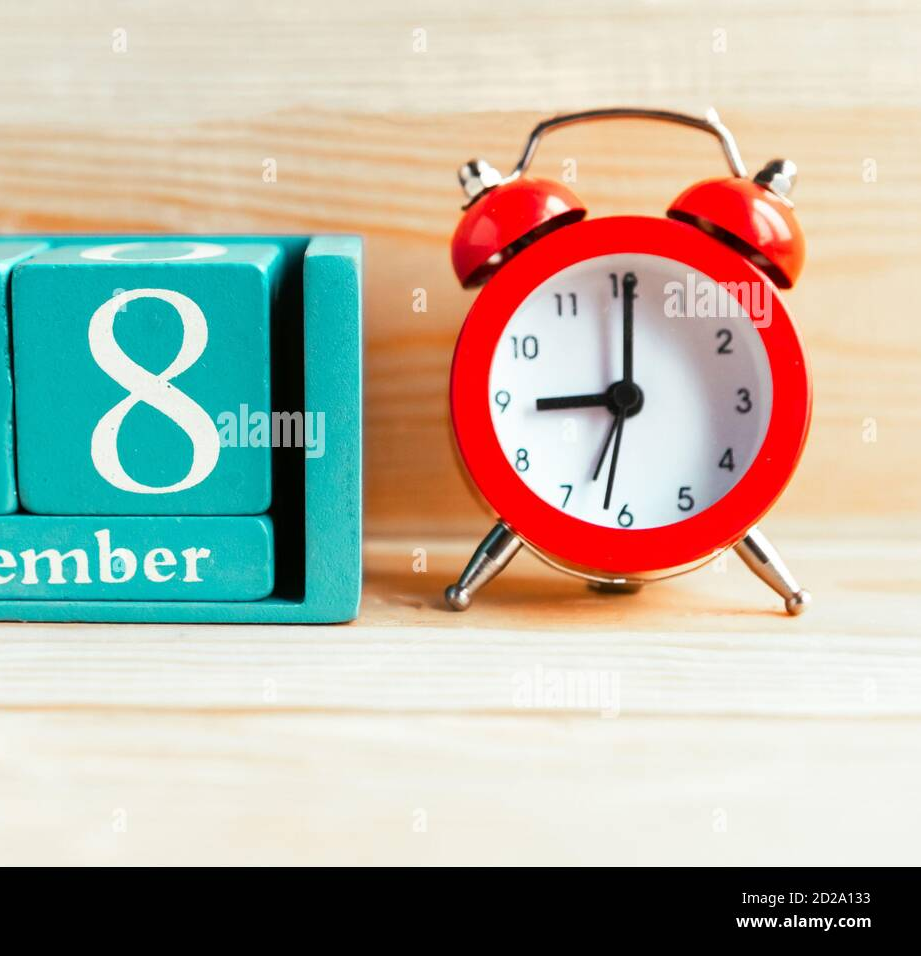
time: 9:01
